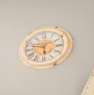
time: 5:47
